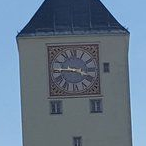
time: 3:45
